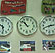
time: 10:52
